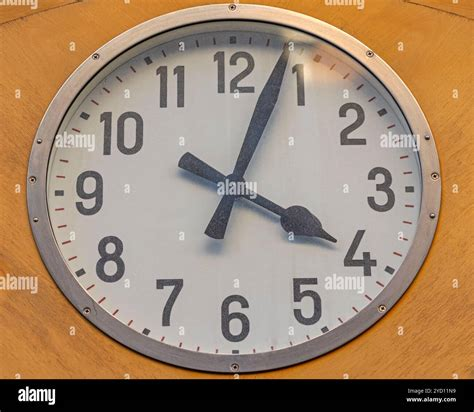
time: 4:03
